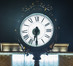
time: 6:29
